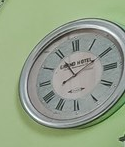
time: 11:10
